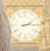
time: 2:14
